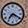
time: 7:19
